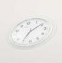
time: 7:09
